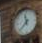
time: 11:37
